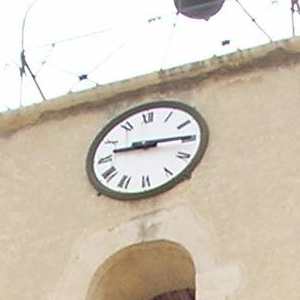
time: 9:15
